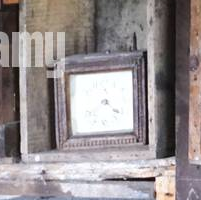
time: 4:21
